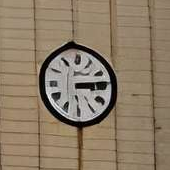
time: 3:13
